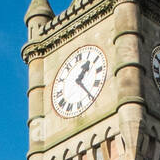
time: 1:24
